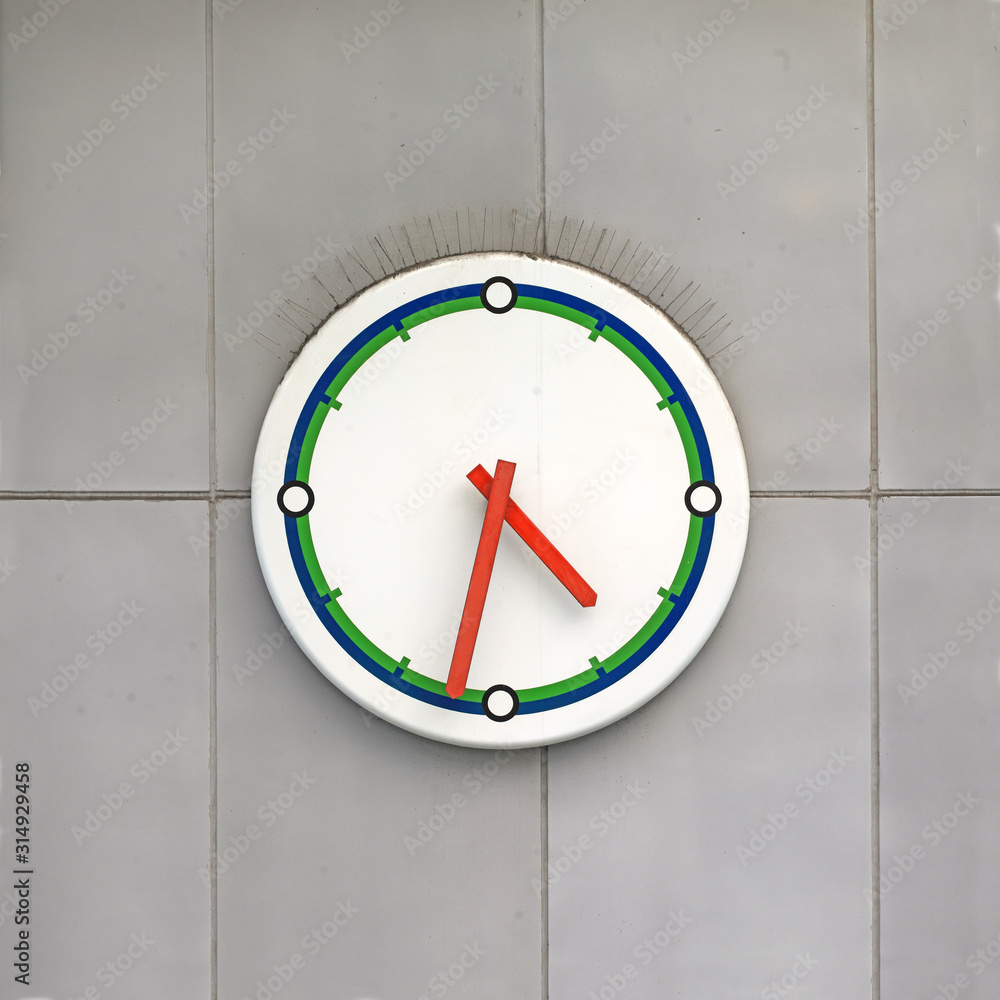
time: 4:32
